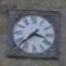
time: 3:37
